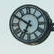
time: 6:50
